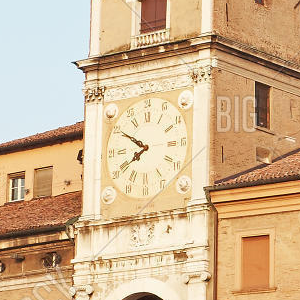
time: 7:50
